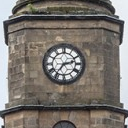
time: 2:35
